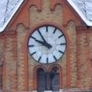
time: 9:54
